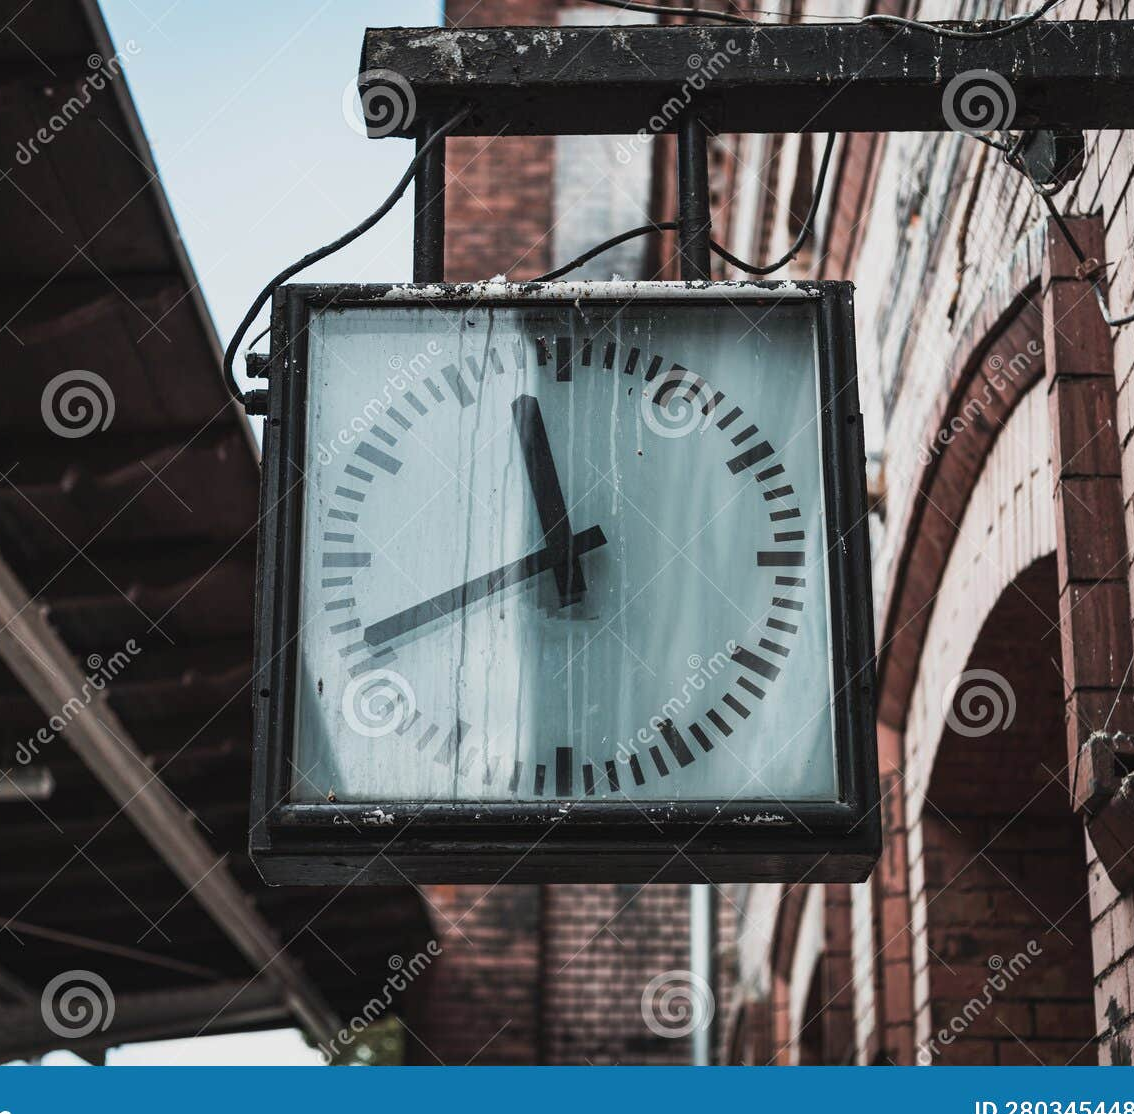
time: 11:41
